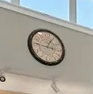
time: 12:46
